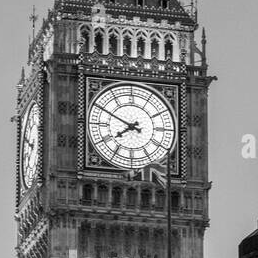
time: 7:49
